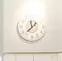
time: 11:37
